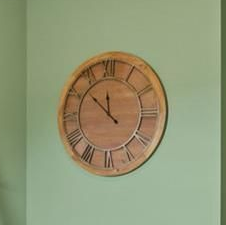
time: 11:51
